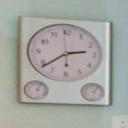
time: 2:38
